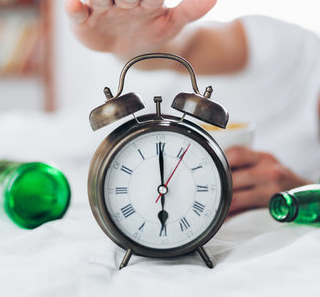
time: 5:59
